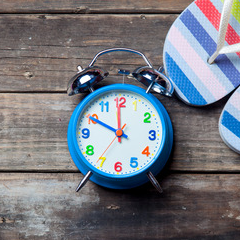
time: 11:49
